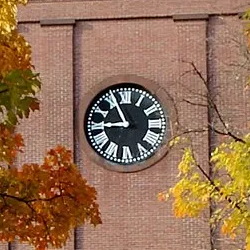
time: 8:56
